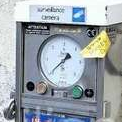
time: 1:38
